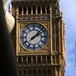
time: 2:07
